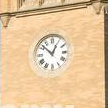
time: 12:52
